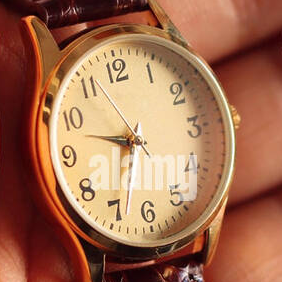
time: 9:33
